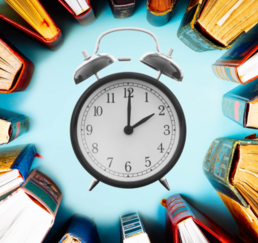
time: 2:00
